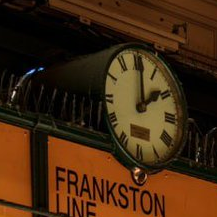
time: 2:00
